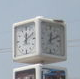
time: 12:10
